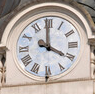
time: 3:59
